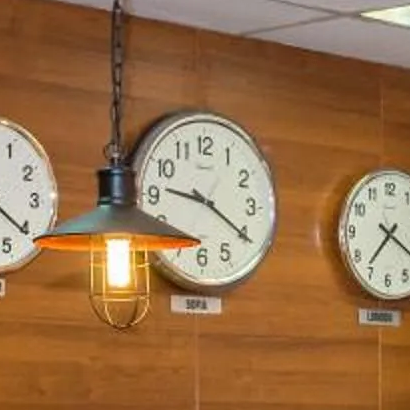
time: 9:20
